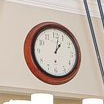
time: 1:01
